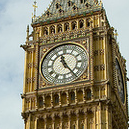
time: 11:24
